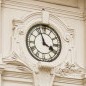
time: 3:56
